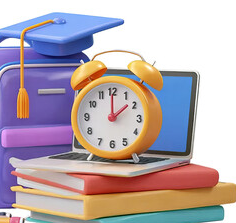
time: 1:59
